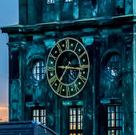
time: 7:15
